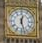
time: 12:27
